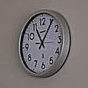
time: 11:05
